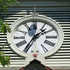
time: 1:34
